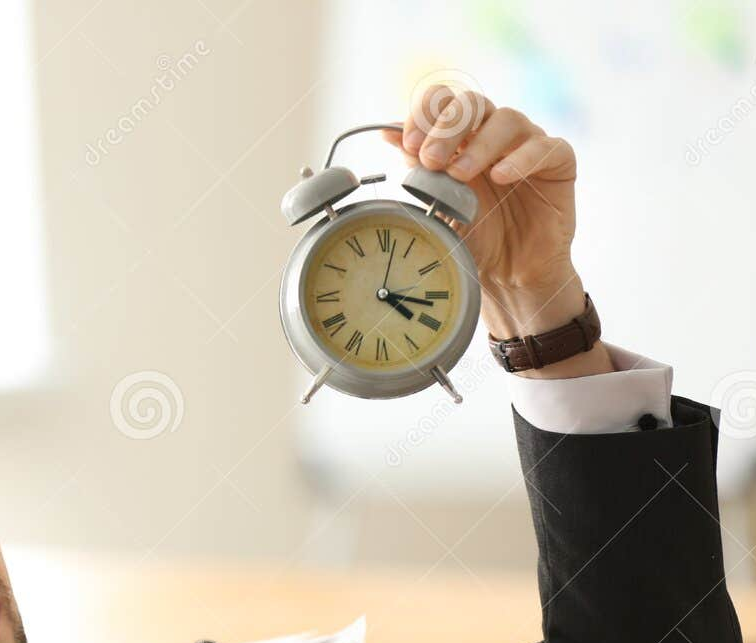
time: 4:16
